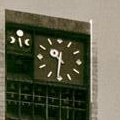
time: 9:31
